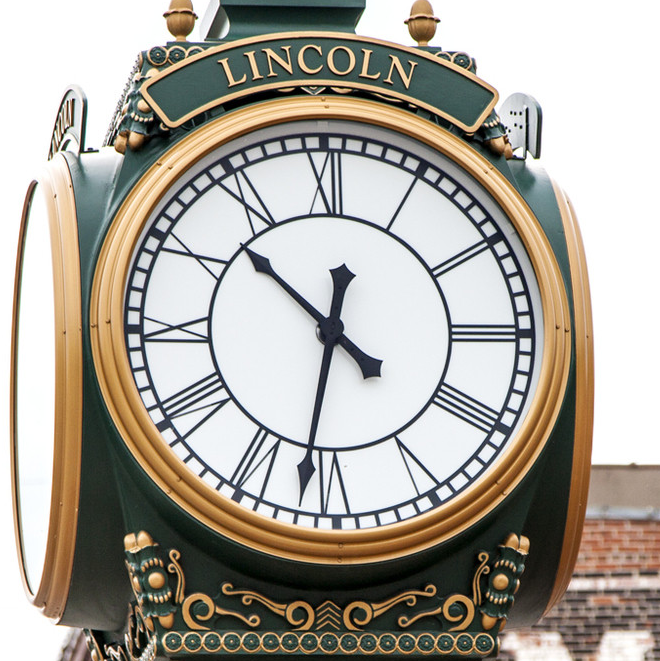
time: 10:32
